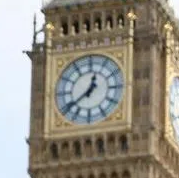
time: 12:38
